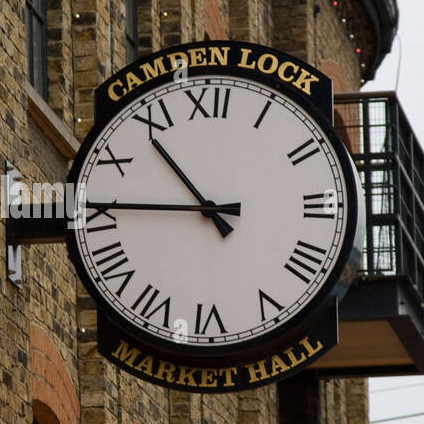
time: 10:45
